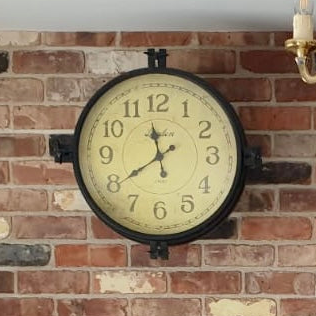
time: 11:39
